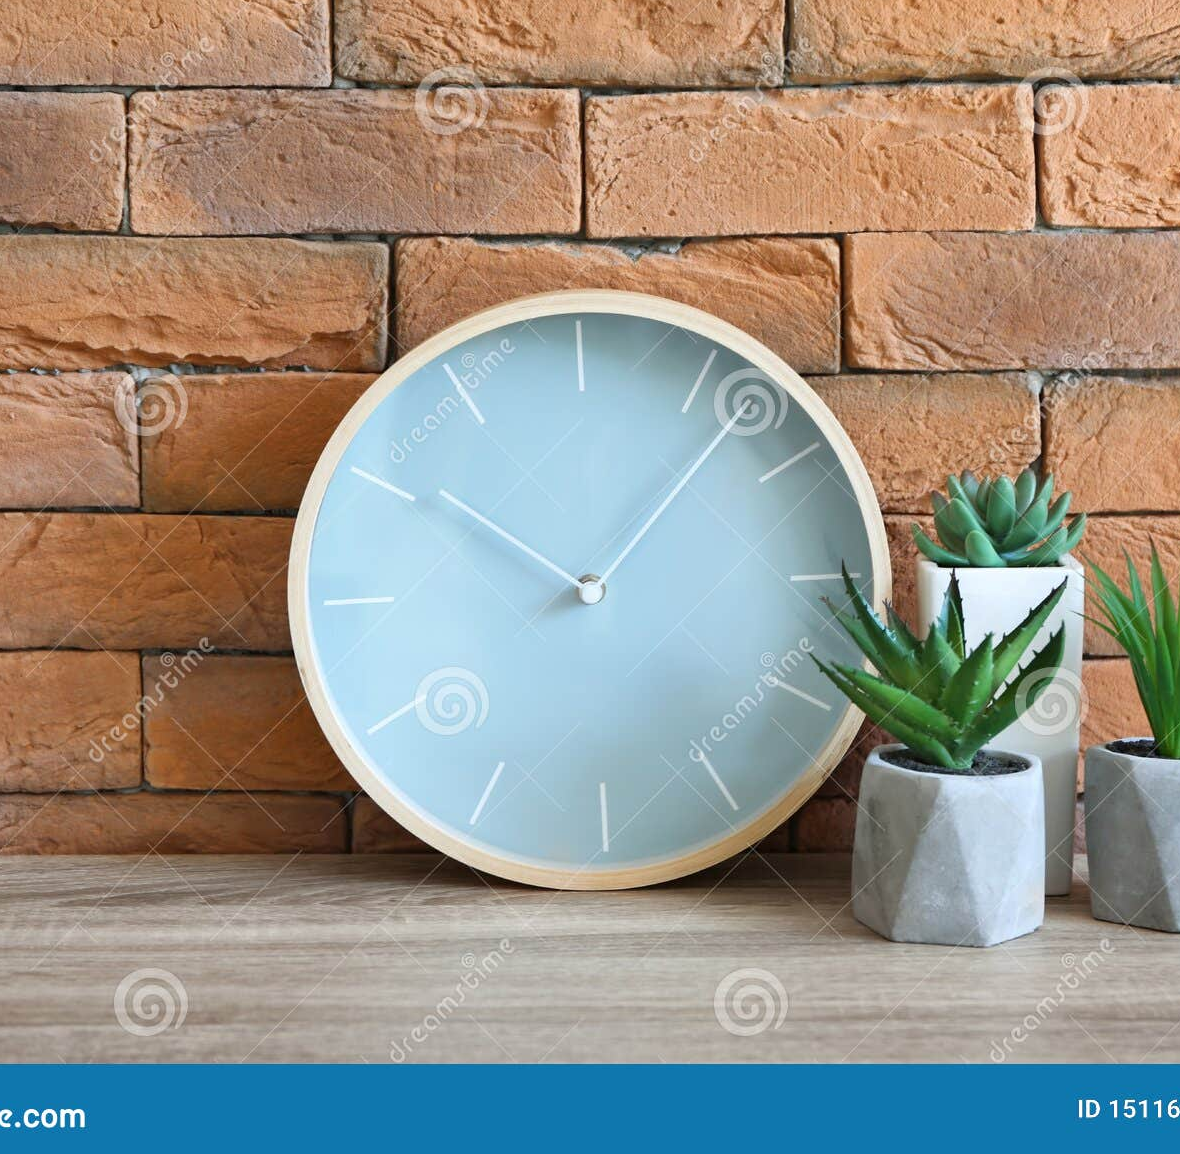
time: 10:07
